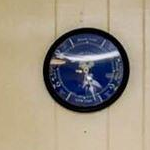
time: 4:26
